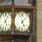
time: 5:07
